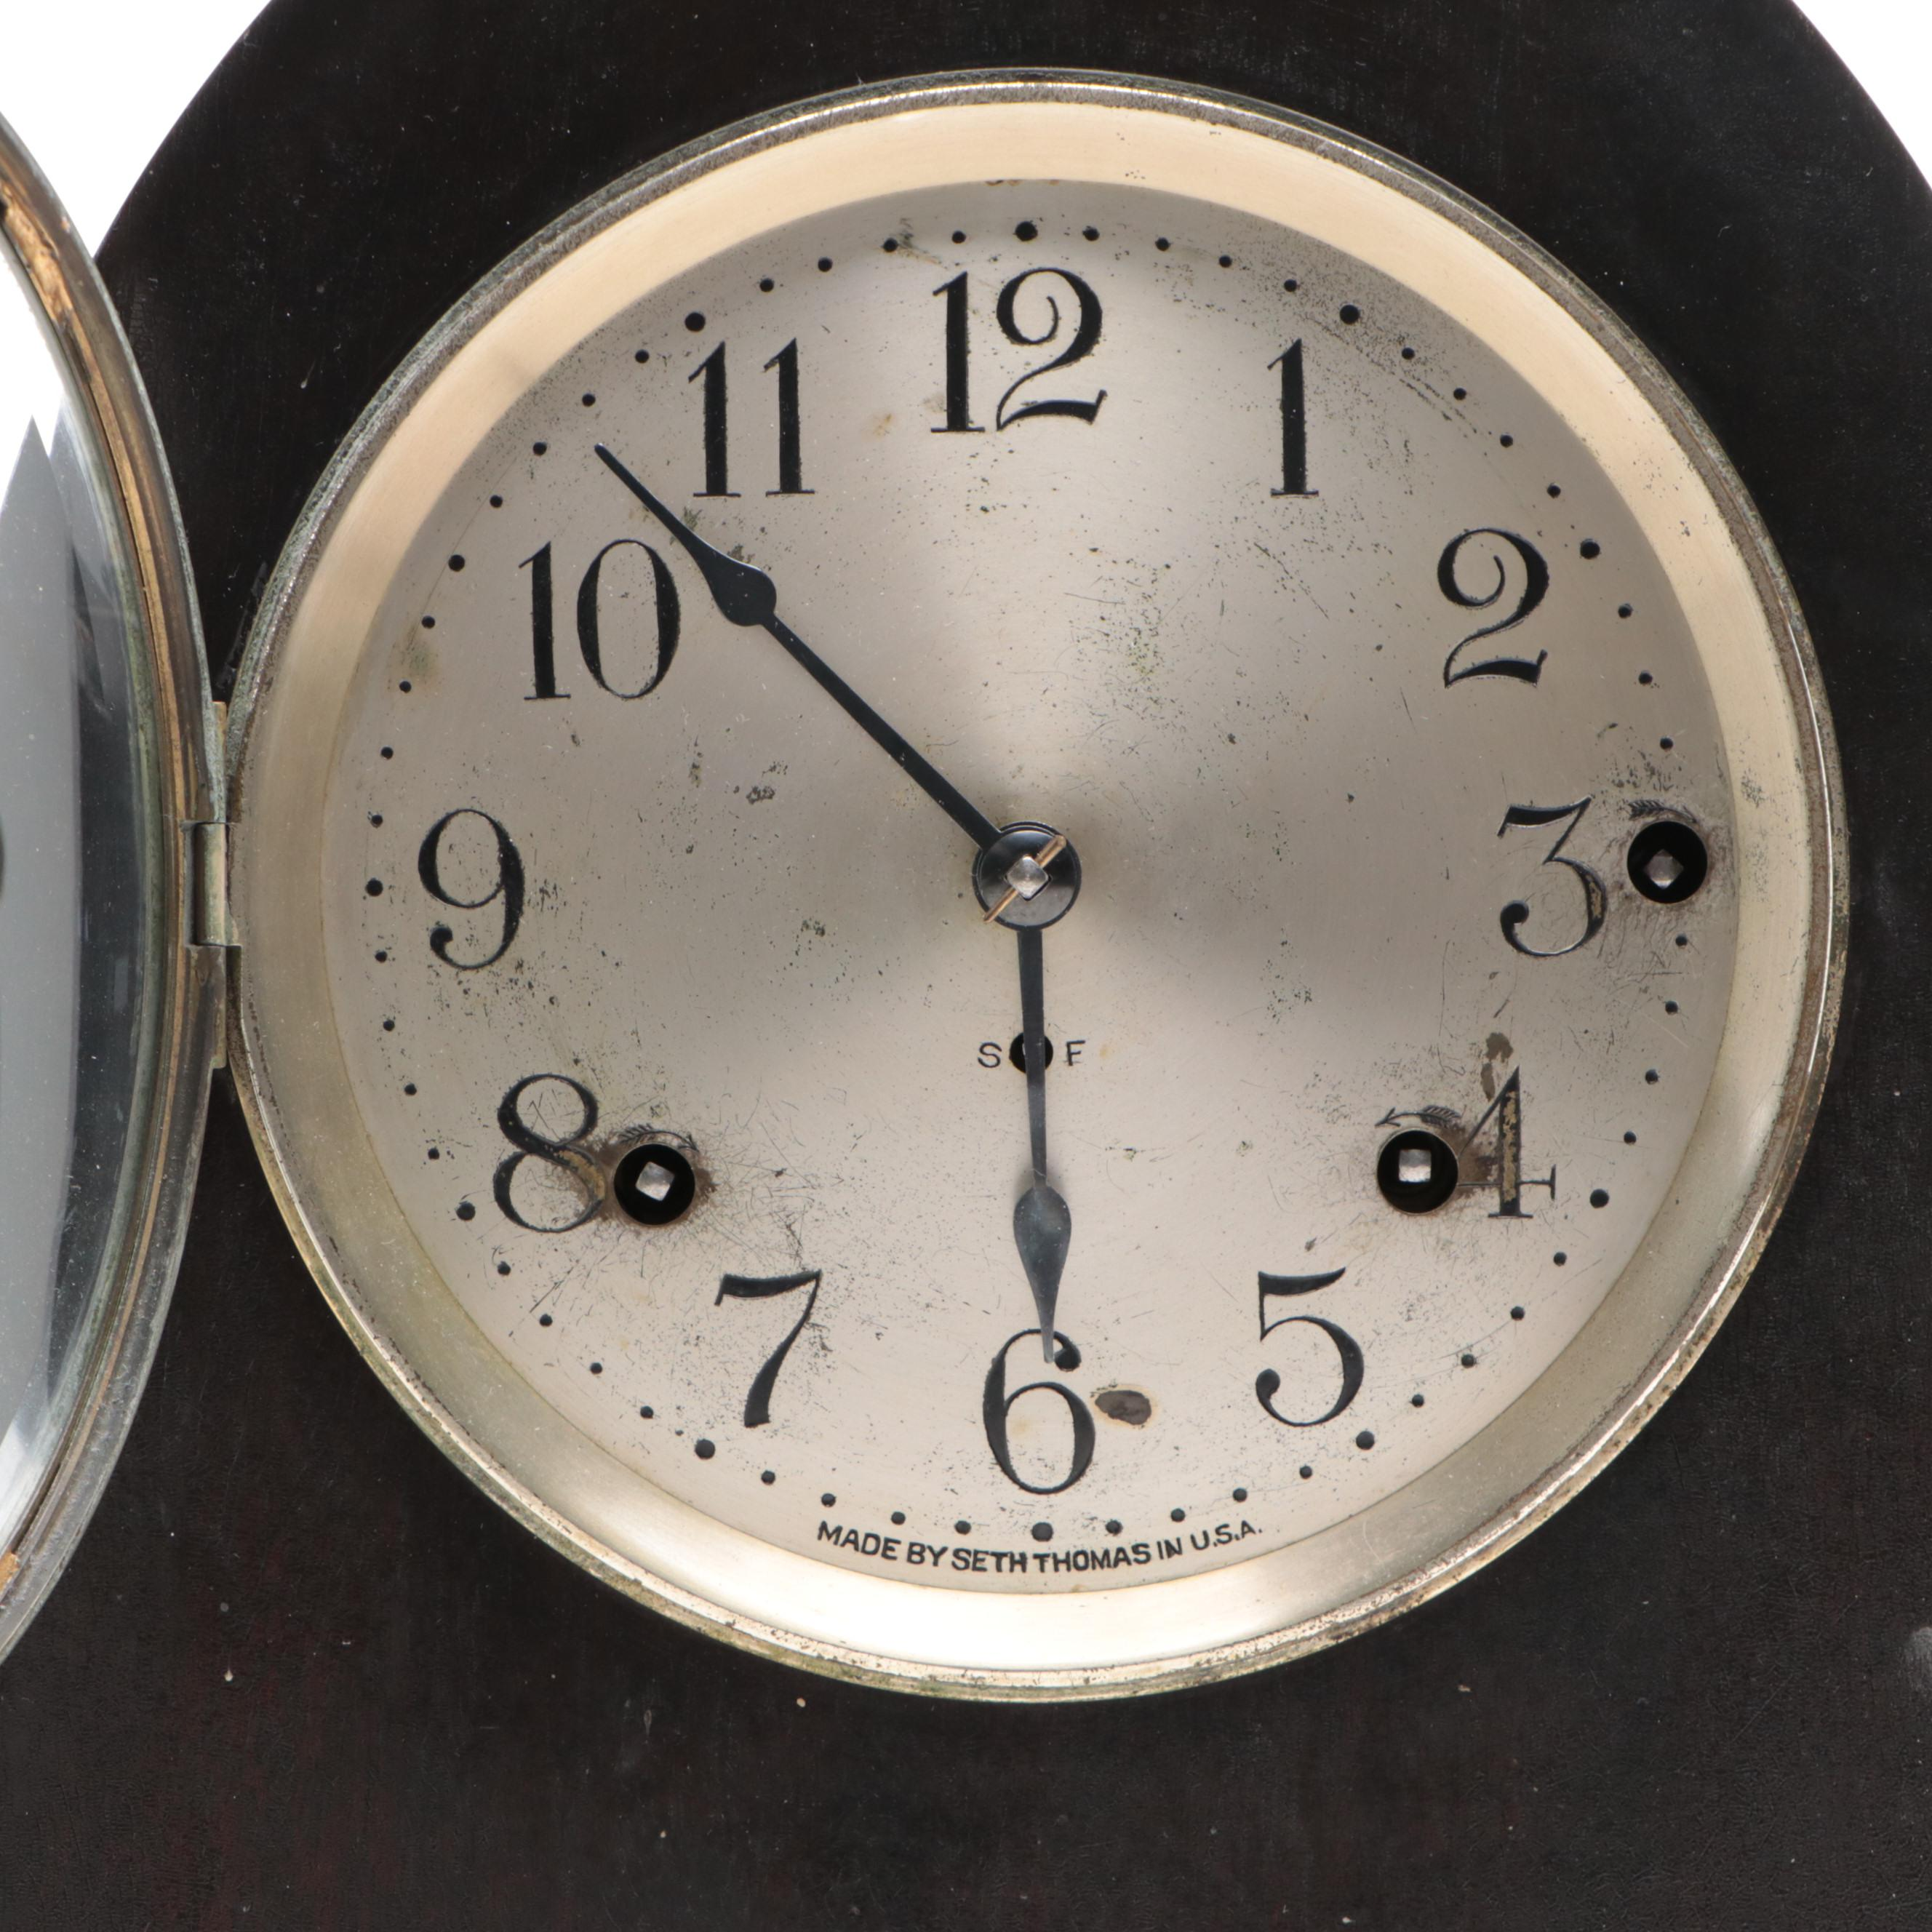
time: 5:52
